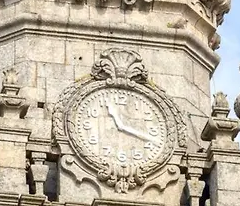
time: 11:18
